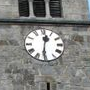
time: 12:30
